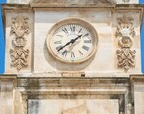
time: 1:38
